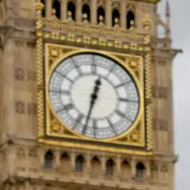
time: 12:32
